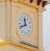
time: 11:41
